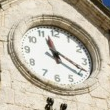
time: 11:19
